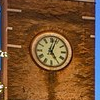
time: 5:03
